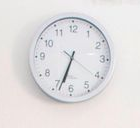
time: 6:33
